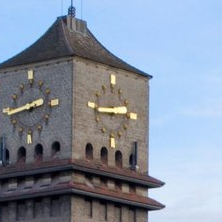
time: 2:44
